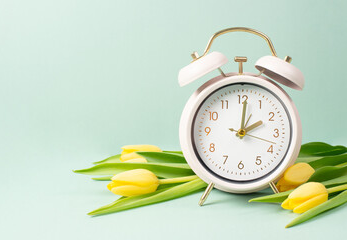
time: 2:01
